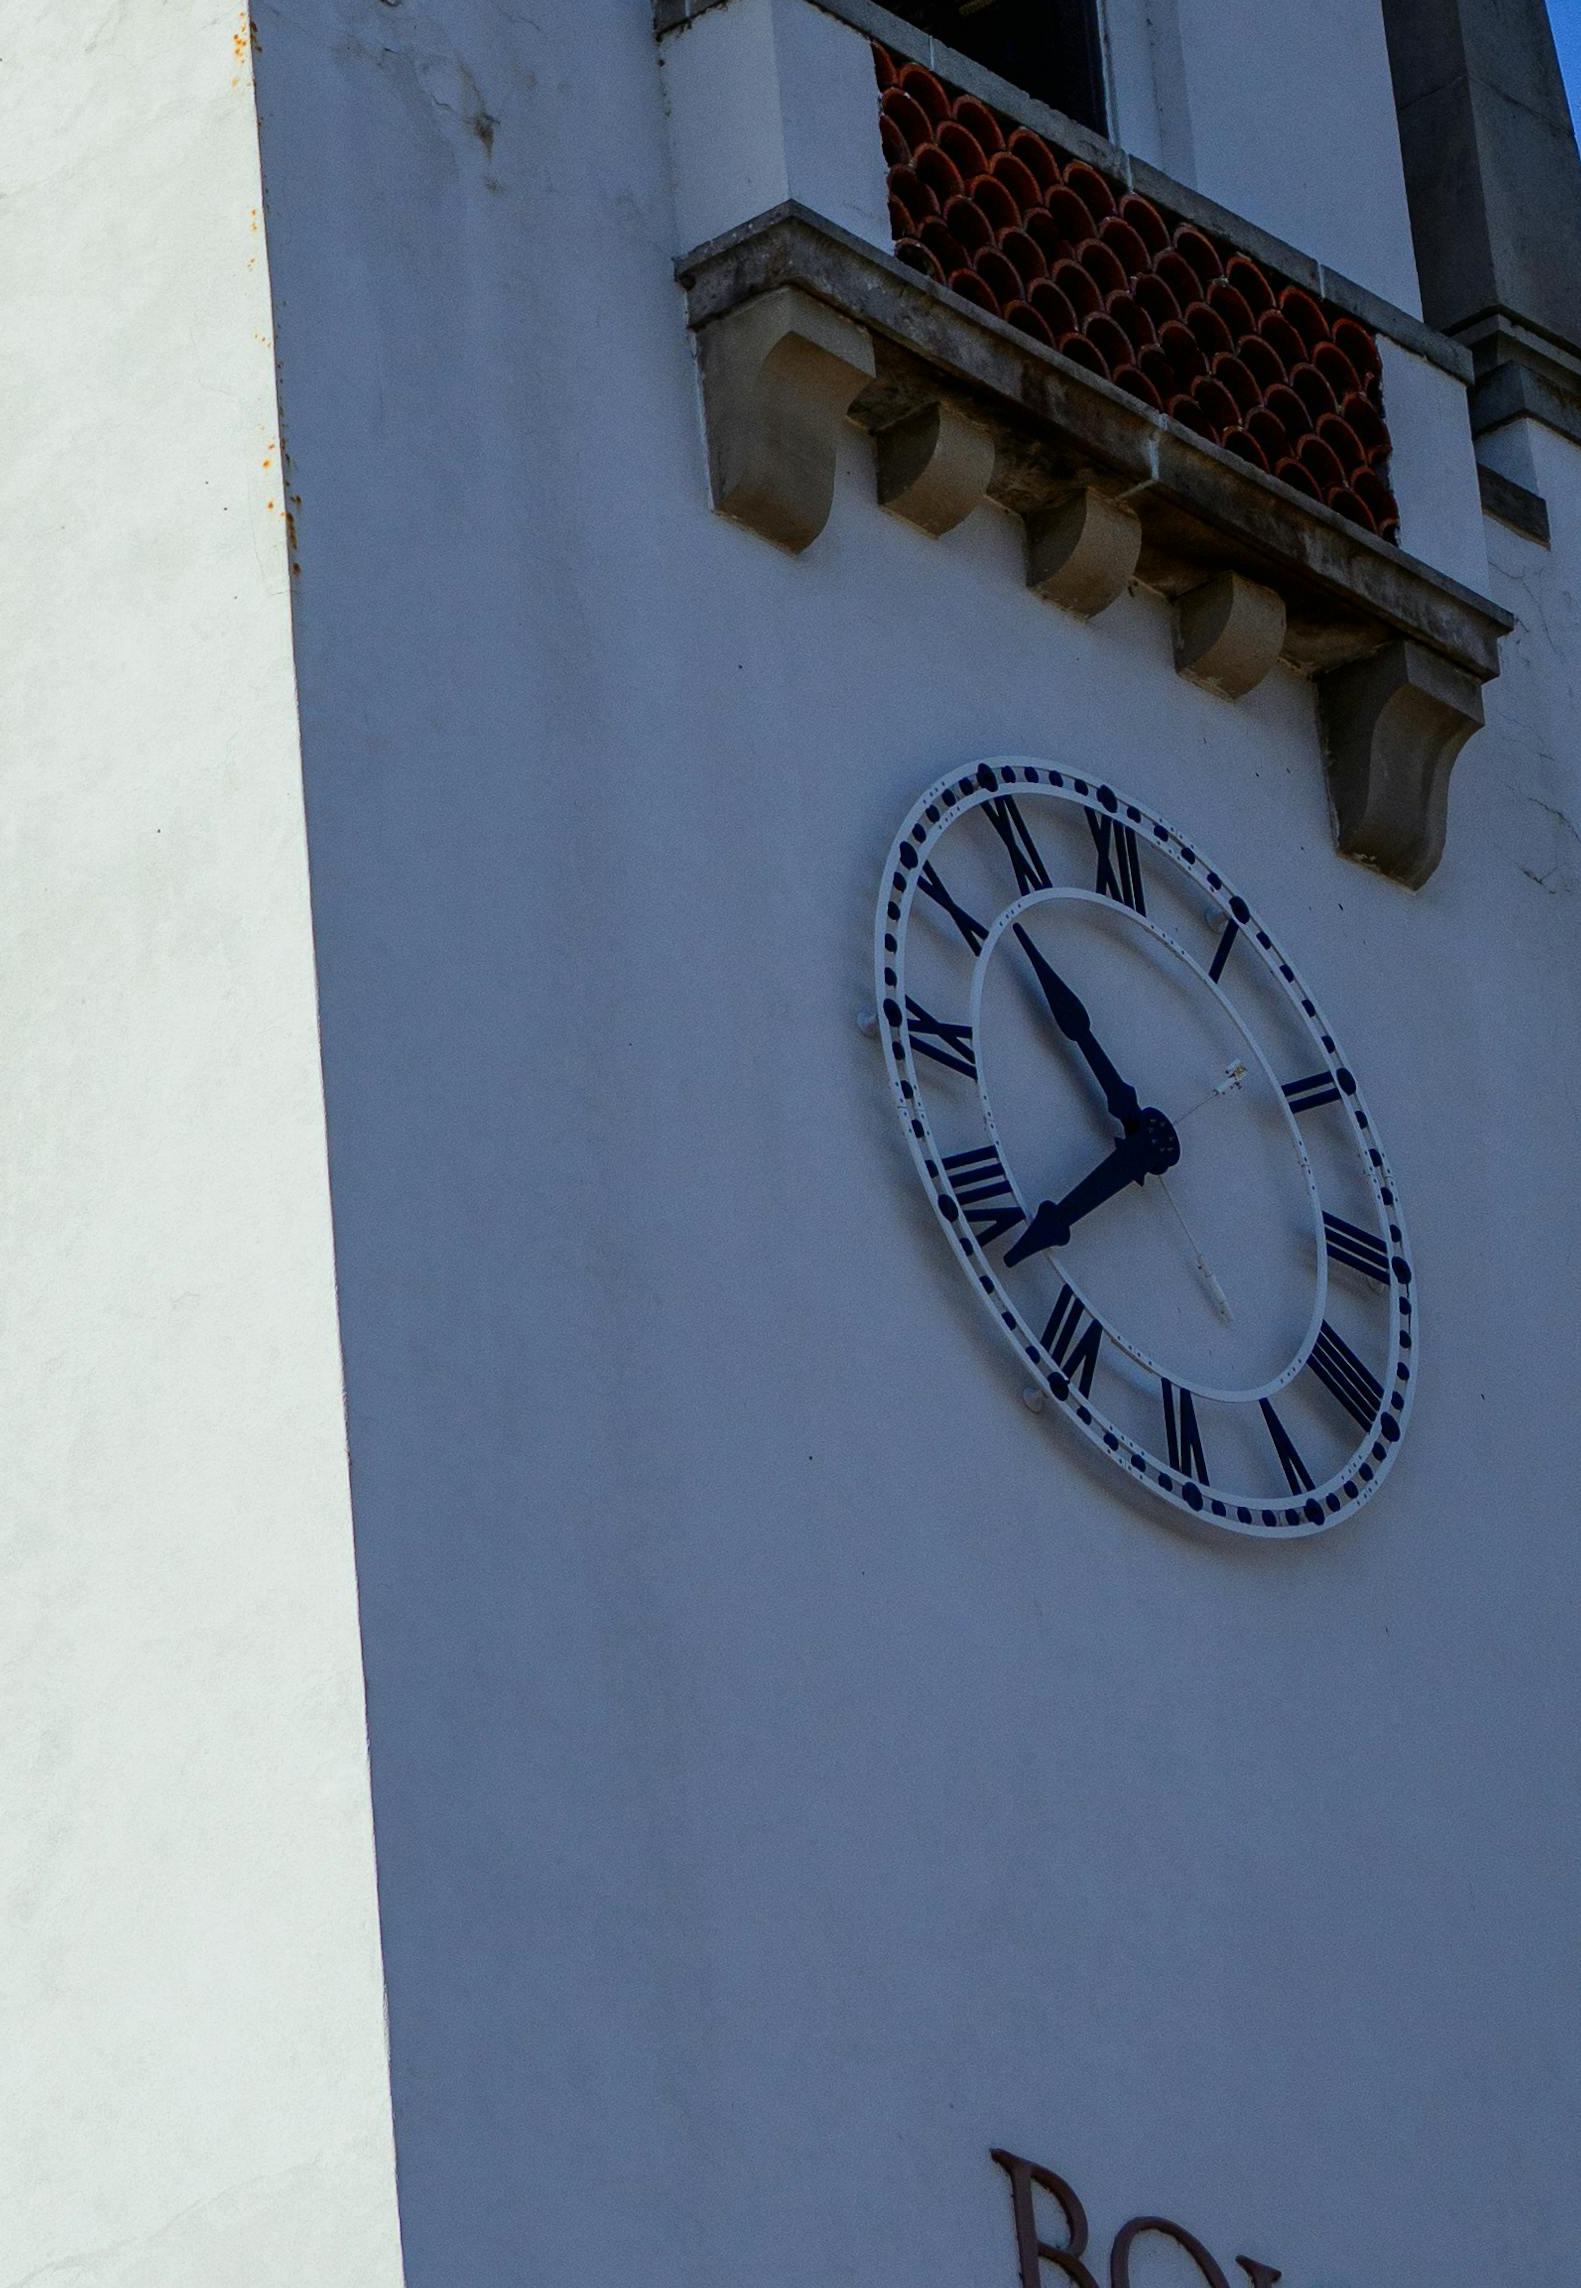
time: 10:38
